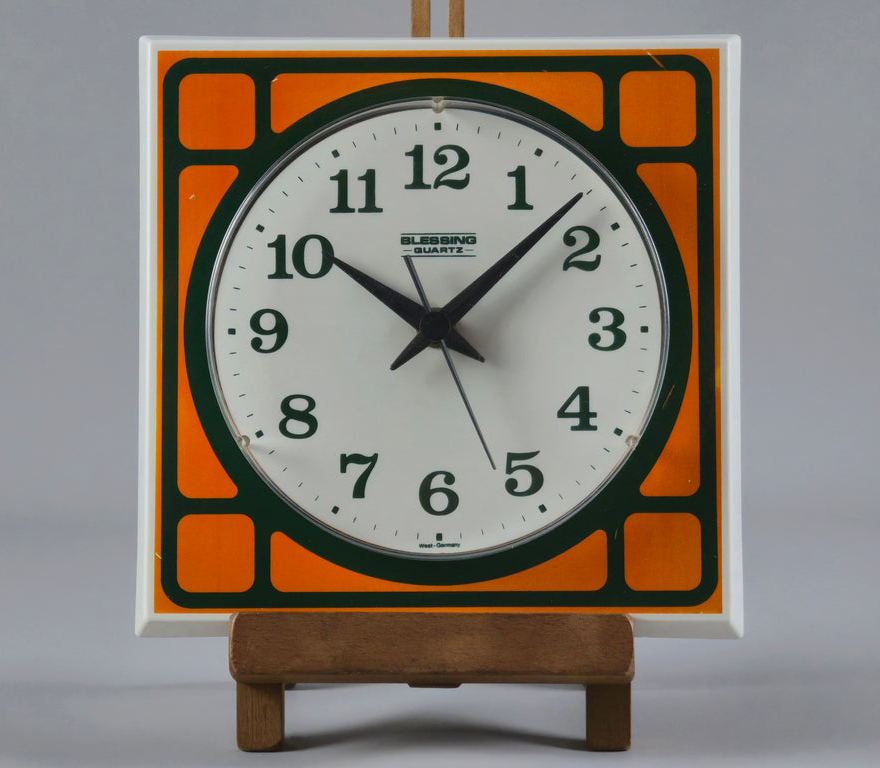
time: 10:07
